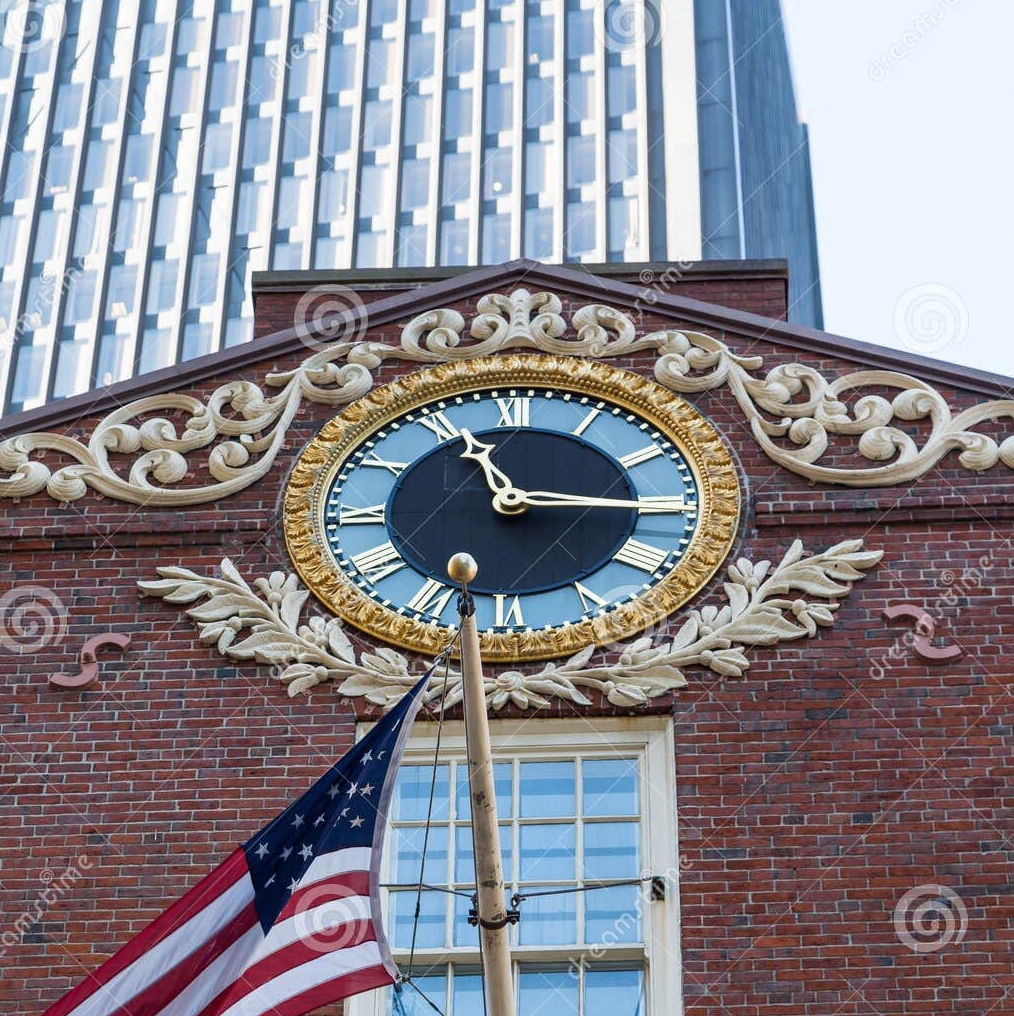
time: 11:15
